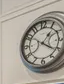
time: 1:20
